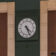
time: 4:26
